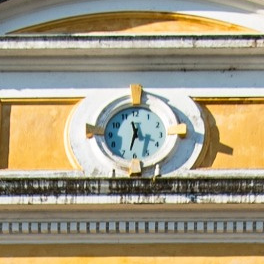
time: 11:32
